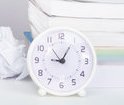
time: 9:05
